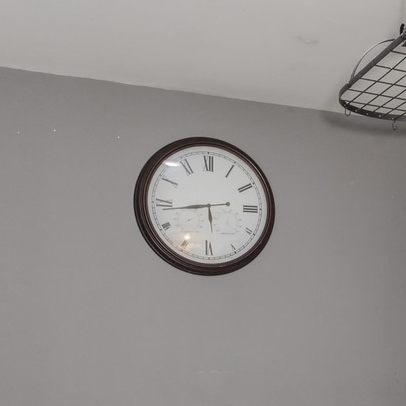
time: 5:43
